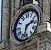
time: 2:32
